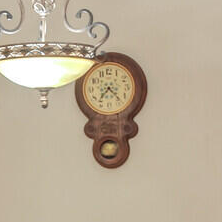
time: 7:22
